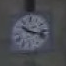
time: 10:17
